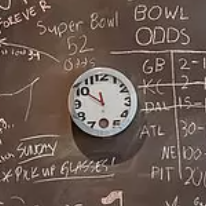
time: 11:50
